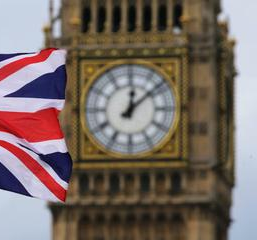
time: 12:08
